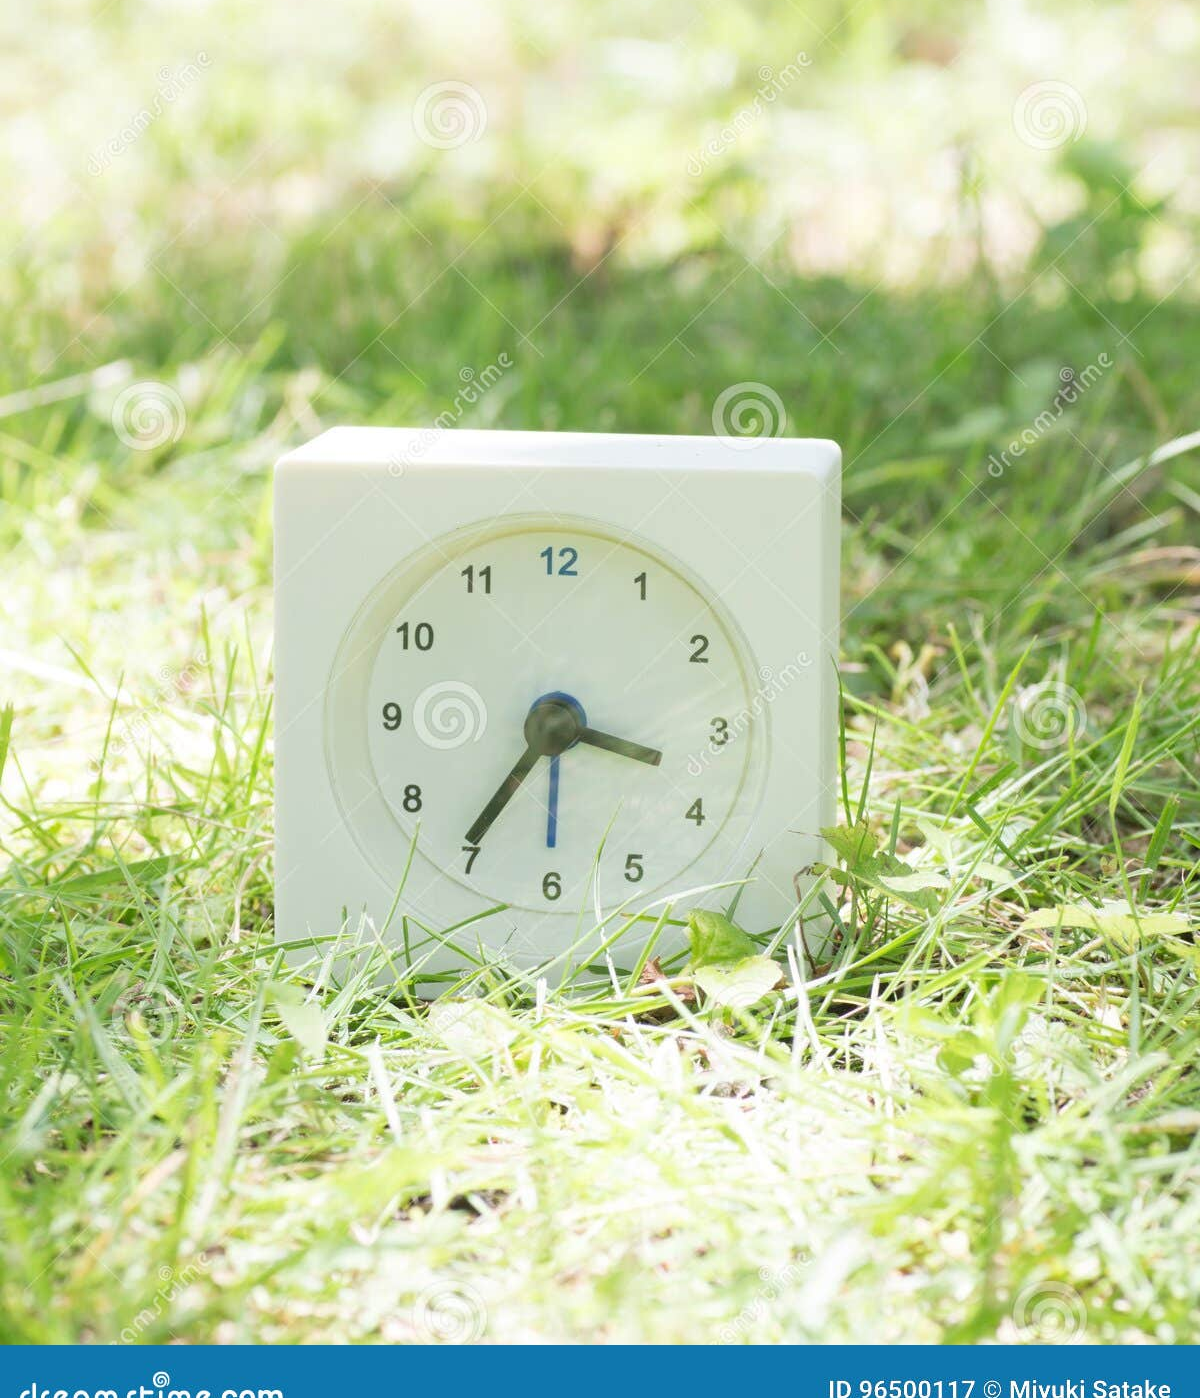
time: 3:35
